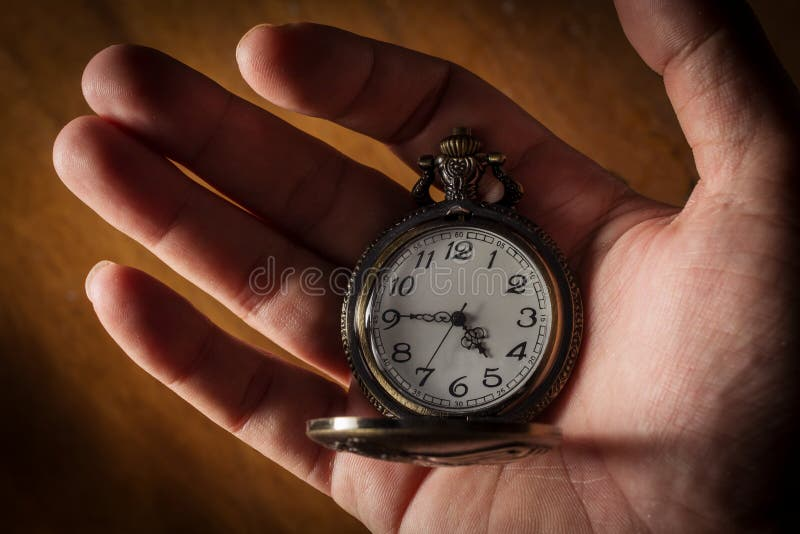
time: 4:45
